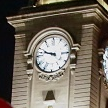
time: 9:47
